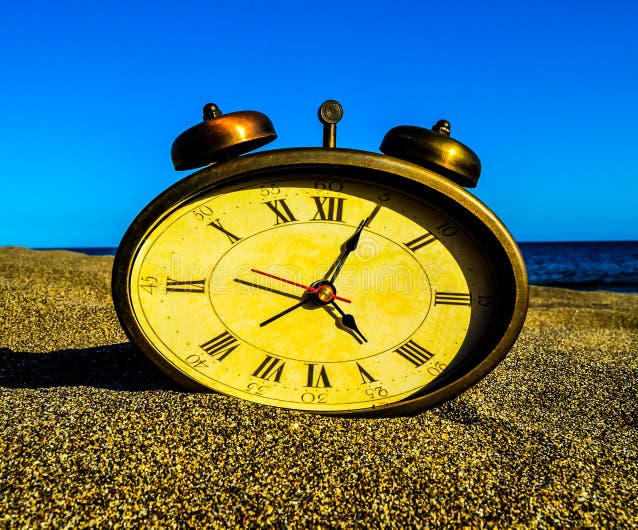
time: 4:04
